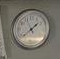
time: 1:38
